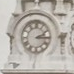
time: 2:15
